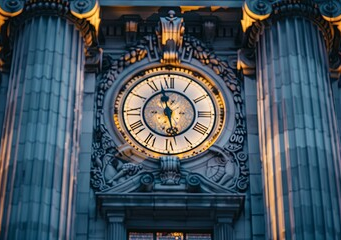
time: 11:28
